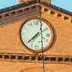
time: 1:38
